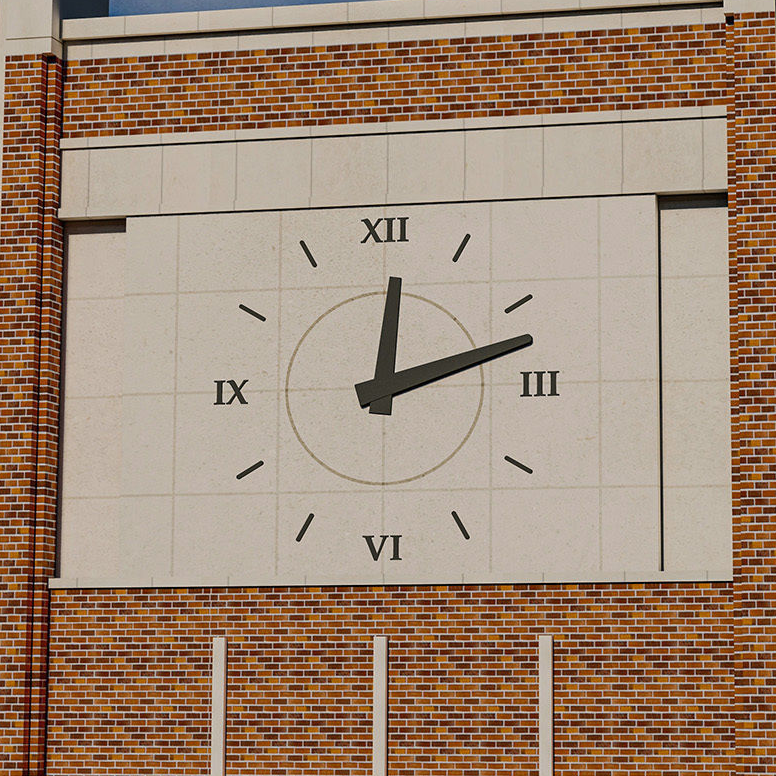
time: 12:12
